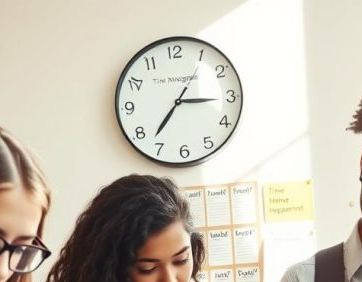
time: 7:15
